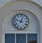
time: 12:48
